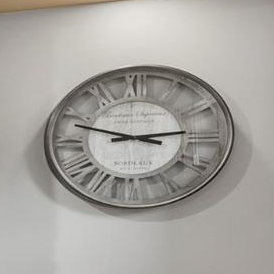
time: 2:48
